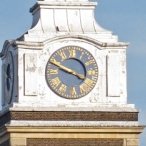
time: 3:48
